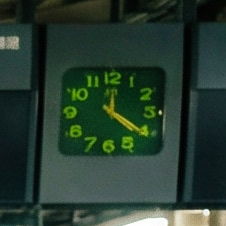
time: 12:20
